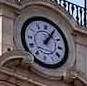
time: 1:05
